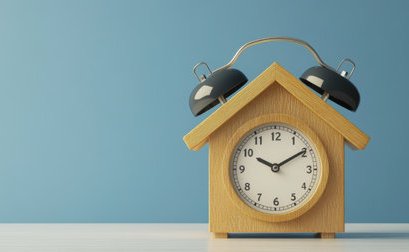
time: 10:09
